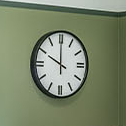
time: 10:00
